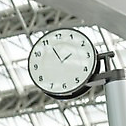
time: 1:56
